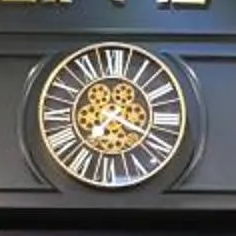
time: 7:18
